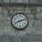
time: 8:12
